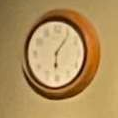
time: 6:06
